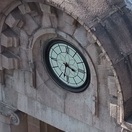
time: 3:31
